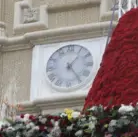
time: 1:23
